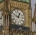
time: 12:49
